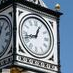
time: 12:42
